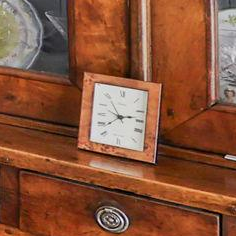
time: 2:38
